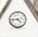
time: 4:44
